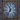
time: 11:36
